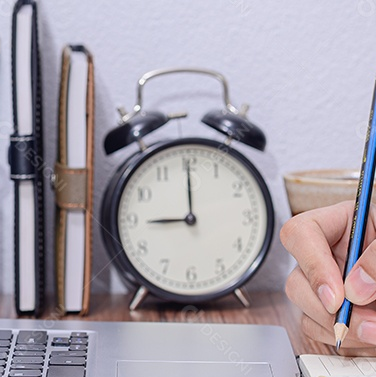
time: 9:00
